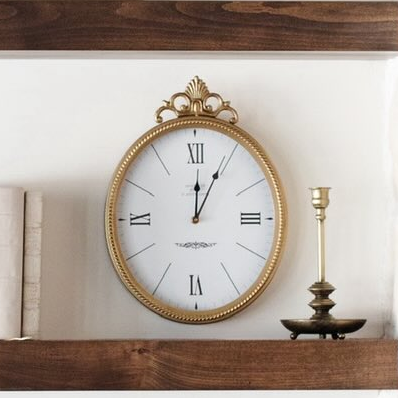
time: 12:04
